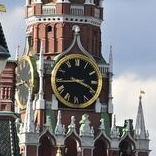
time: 3:44
